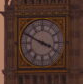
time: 3:49
